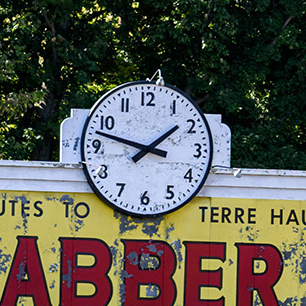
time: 1:47
